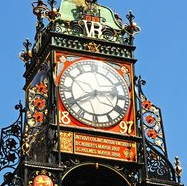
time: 2:40
